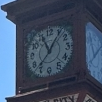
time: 11:05
